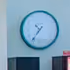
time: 10:36
